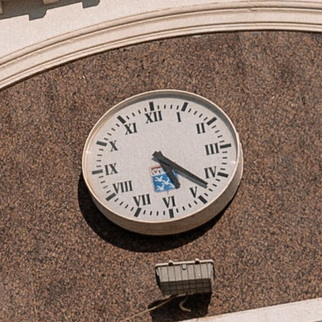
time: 5:22
